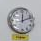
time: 12:11
